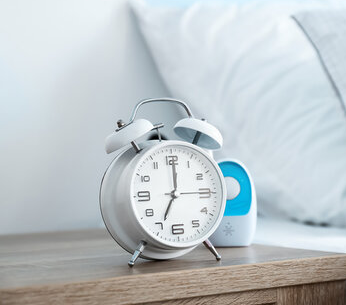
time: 7:00
